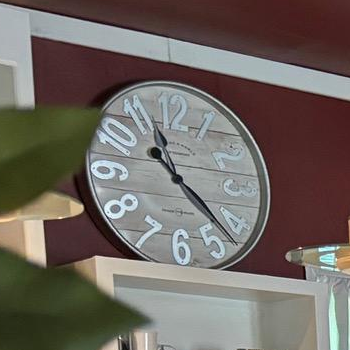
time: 11:22
